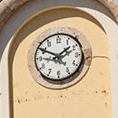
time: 1:49
